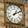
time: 1:10
